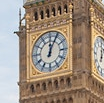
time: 12:04
